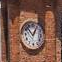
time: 12:53
